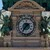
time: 1:36
